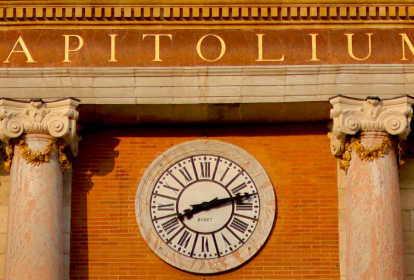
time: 8:12
